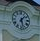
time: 1:28
